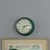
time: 2:34
